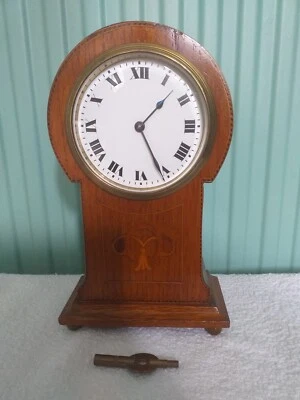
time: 1:25
